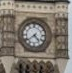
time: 4:38
